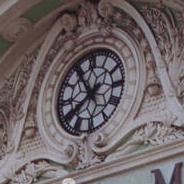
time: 7:54
